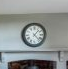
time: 1:22
